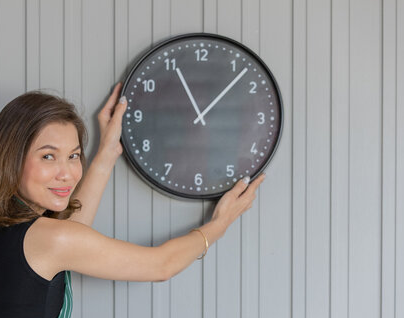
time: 11:07
